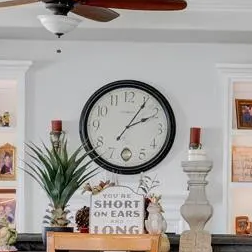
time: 2:05
